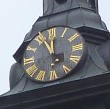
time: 11:55
